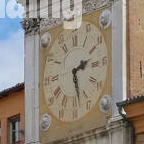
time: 2:28
